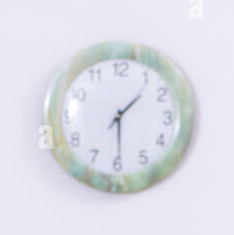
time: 1:29
